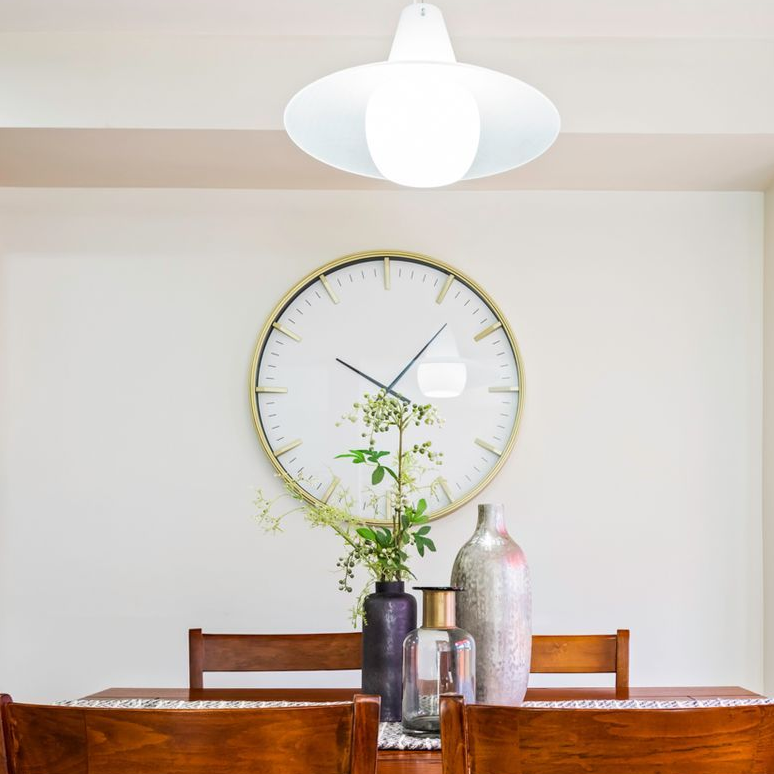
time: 10:07
